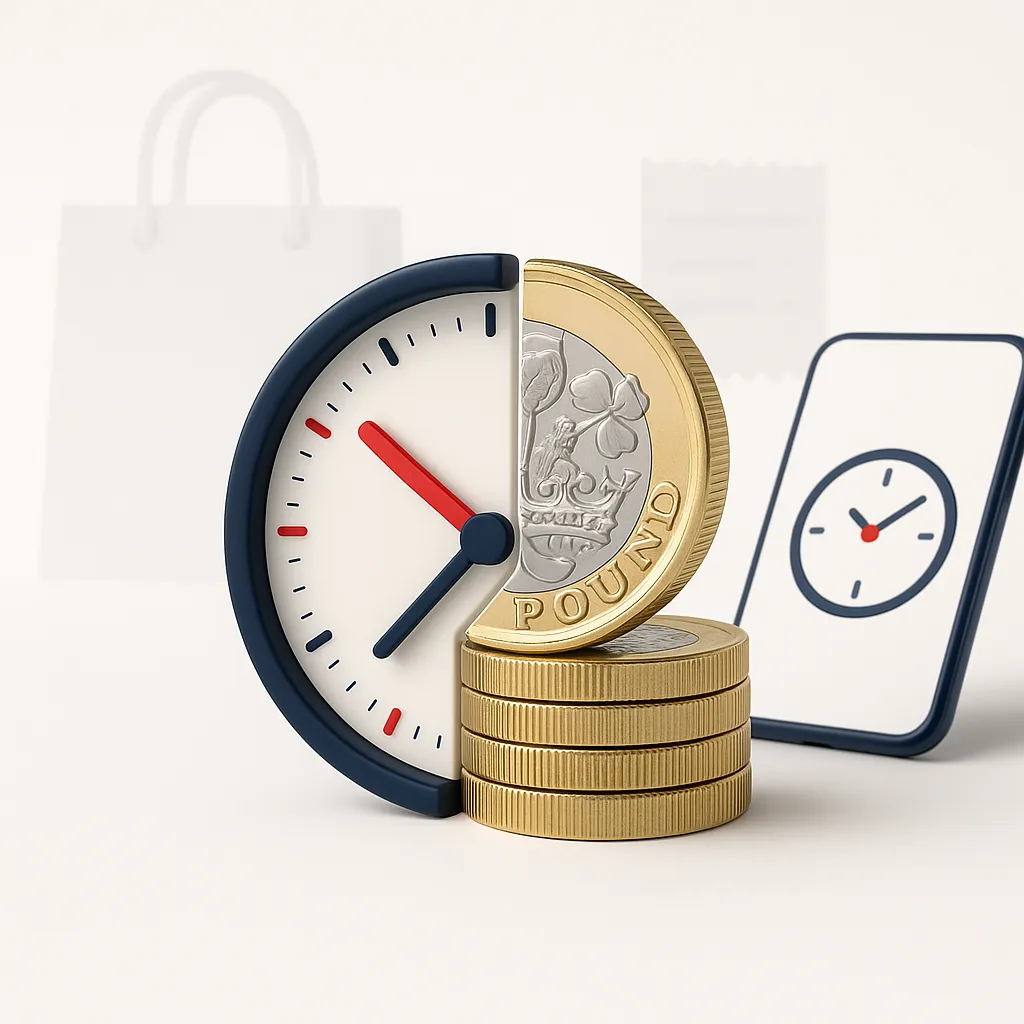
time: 10:37
